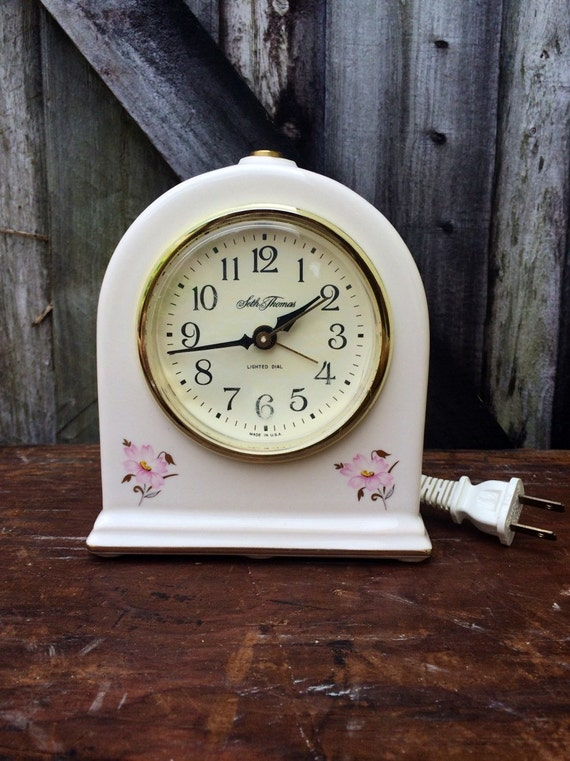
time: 1:43
